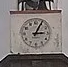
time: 3:04
